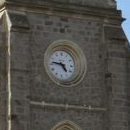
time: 4:46
